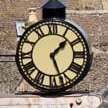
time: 1:26
